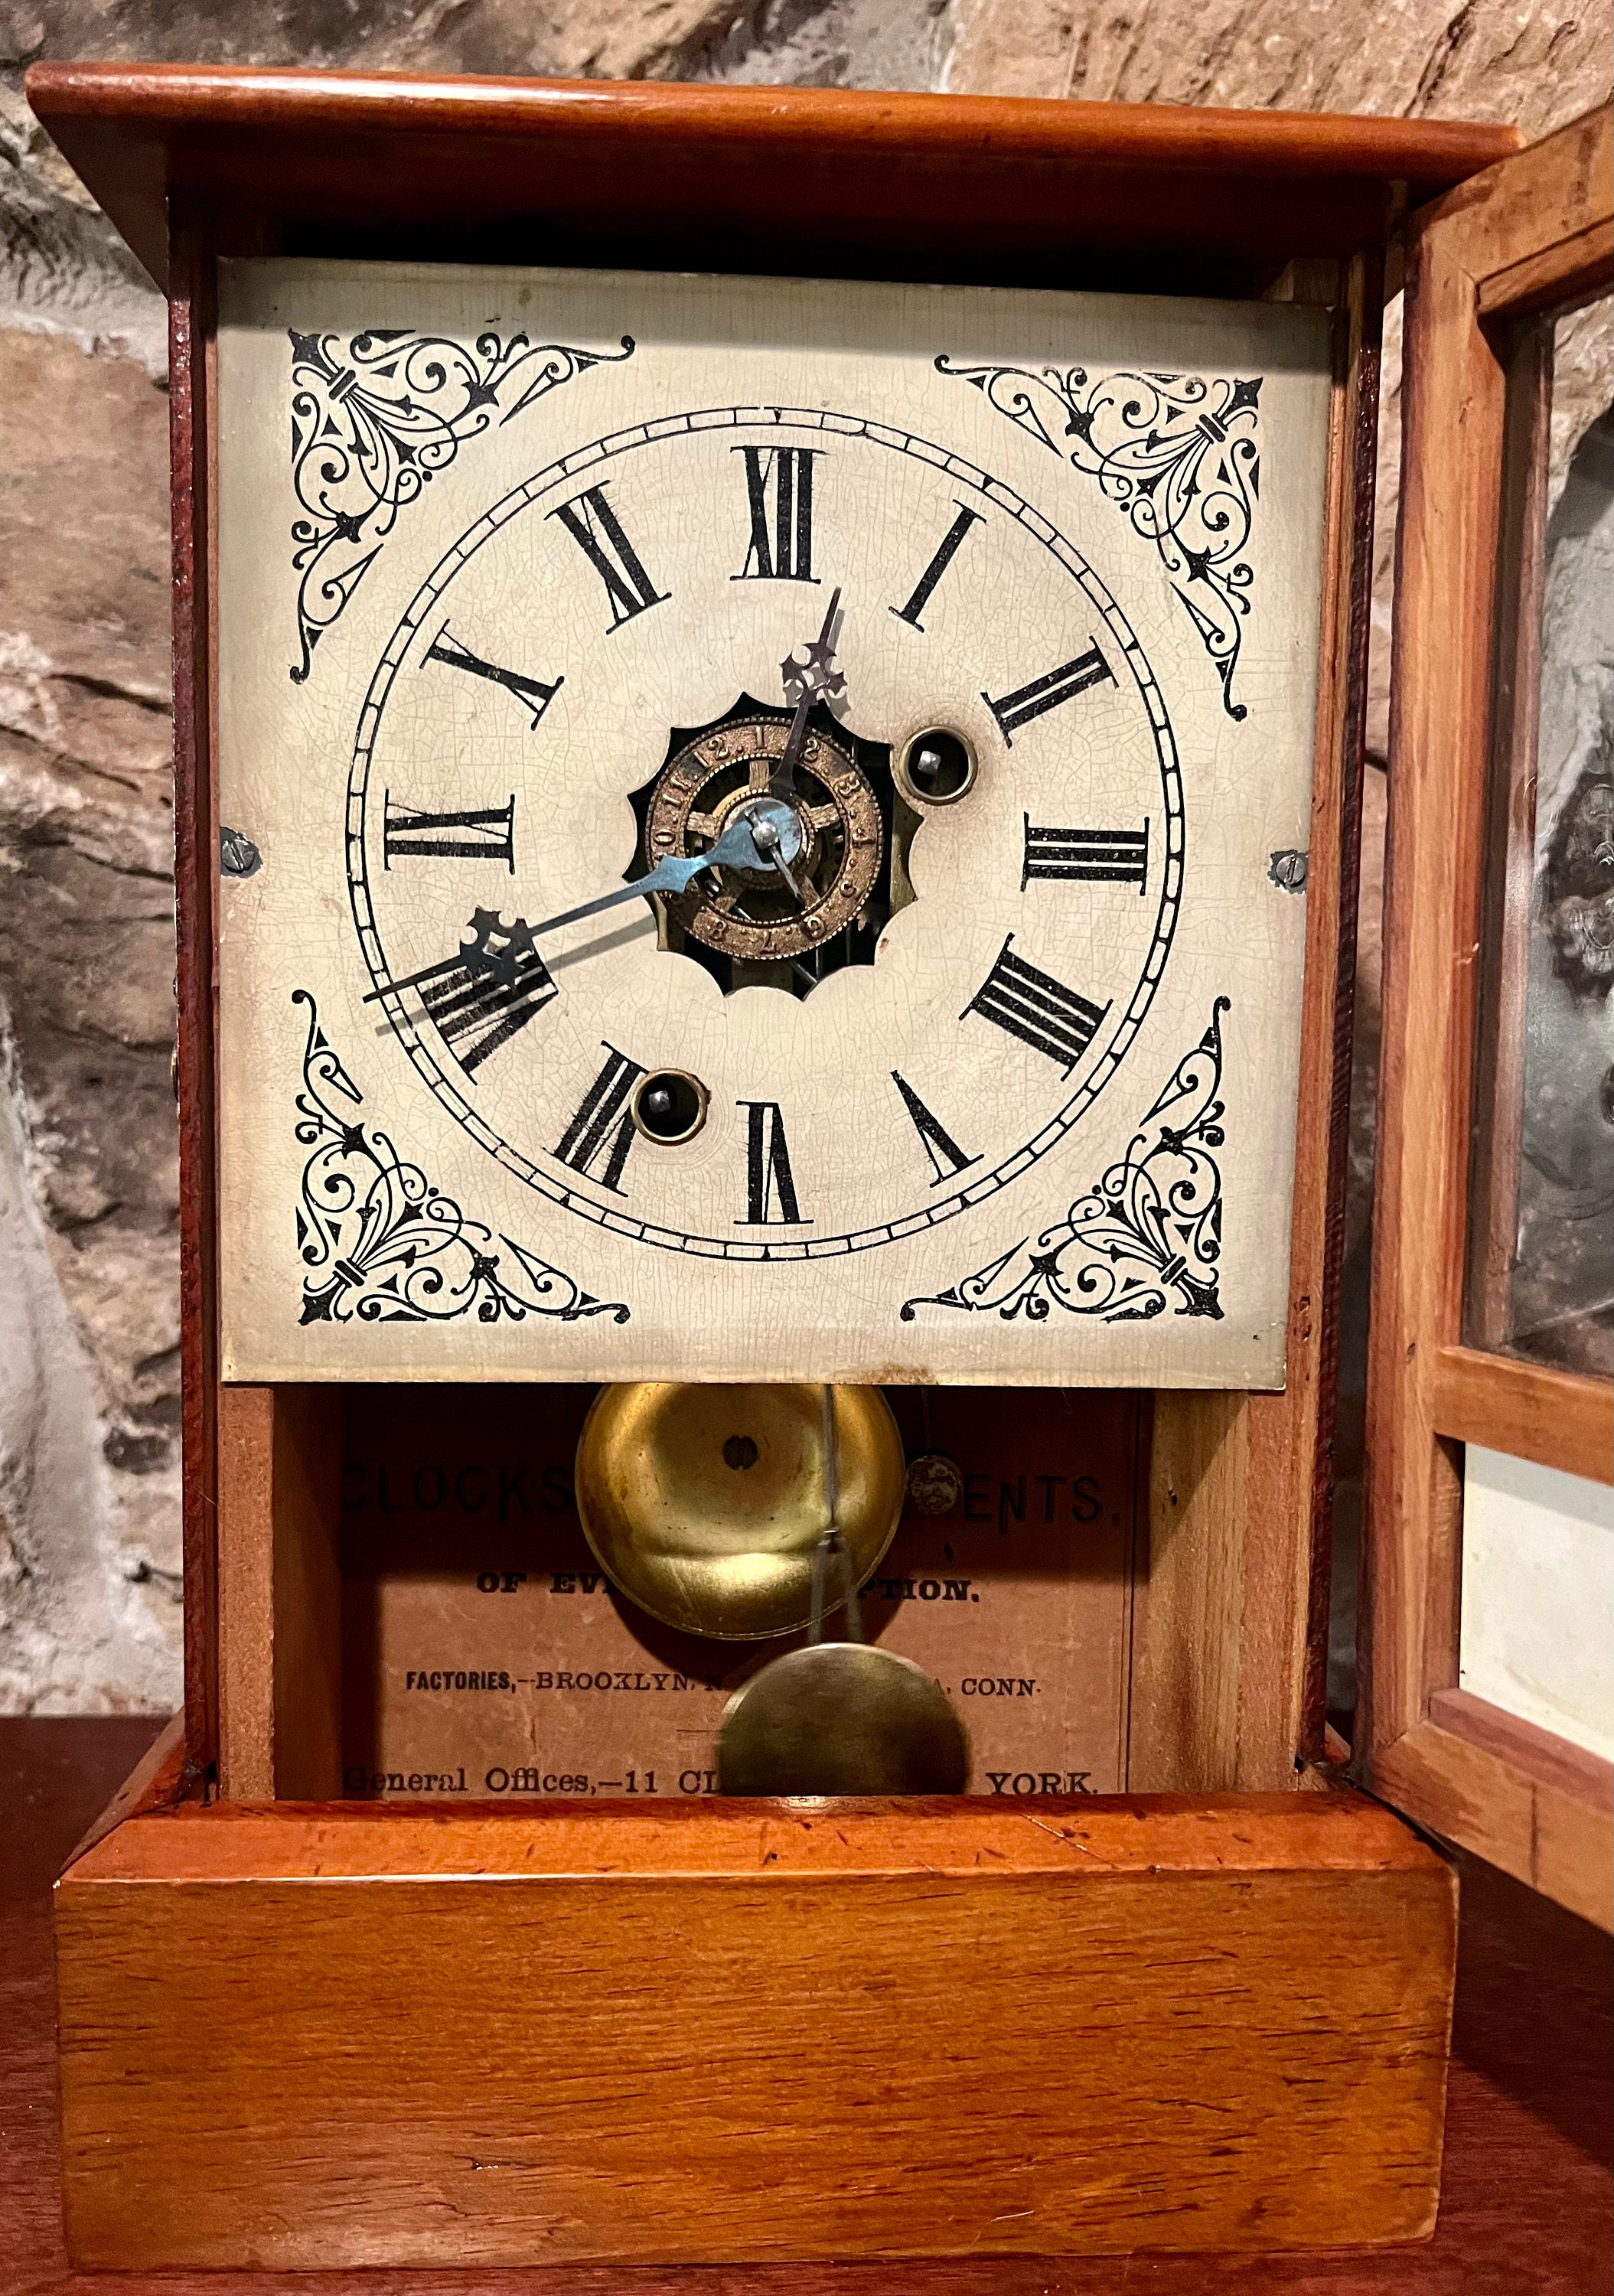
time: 12:10
